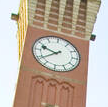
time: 9:39
